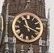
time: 11:18
